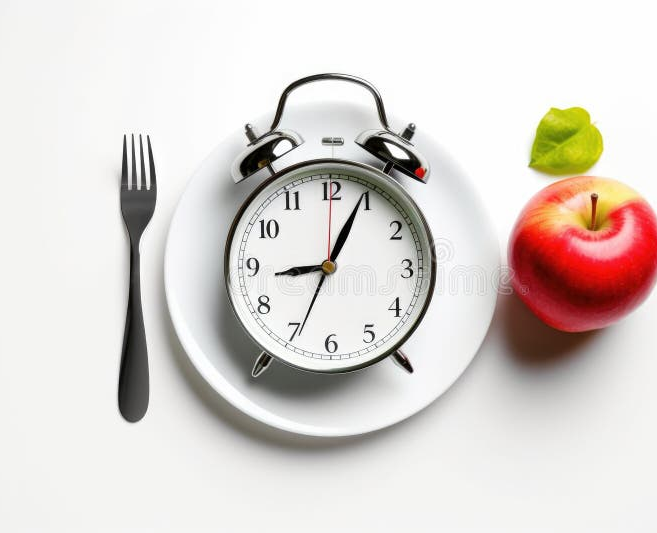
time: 9:04
